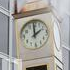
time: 1:59
